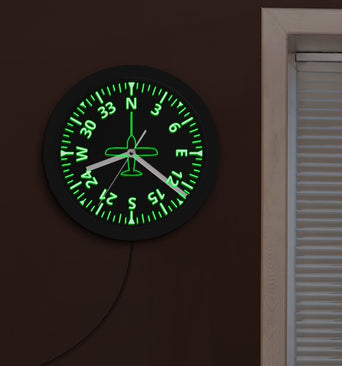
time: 8:21
